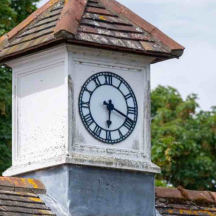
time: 6:18
